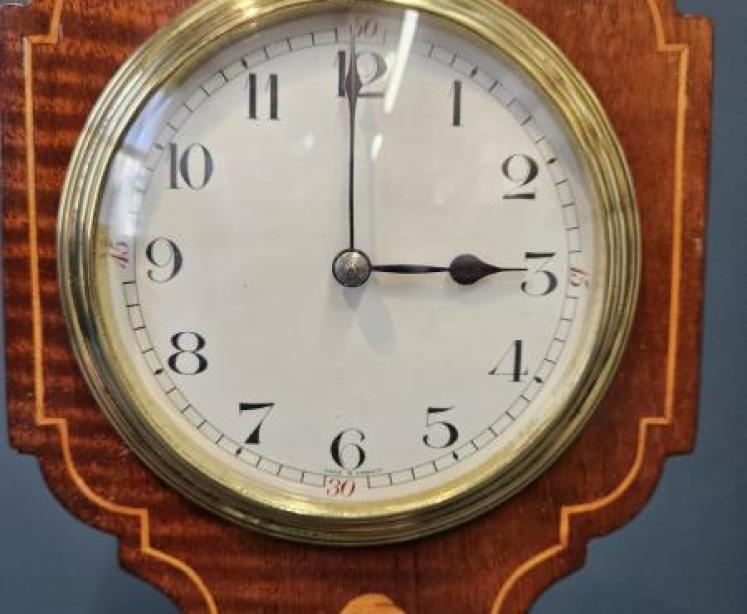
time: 2:59
